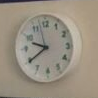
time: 9:39
